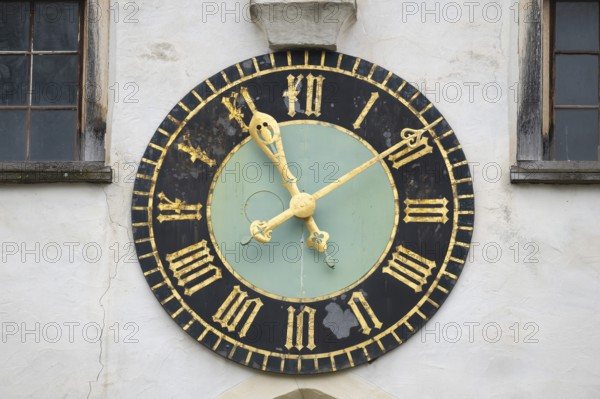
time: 7:55
